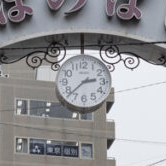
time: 2:38
